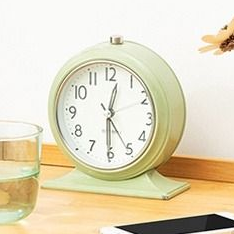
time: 12:30
